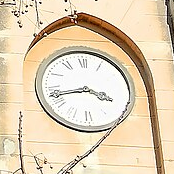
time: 3:43
